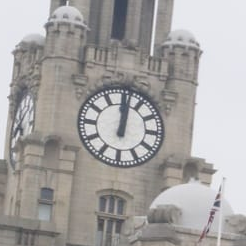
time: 12:01
